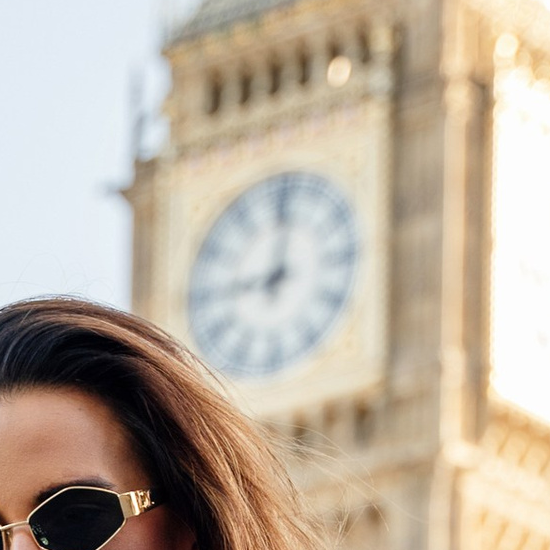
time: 9:01
